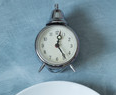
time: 12:24
